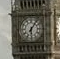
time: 6:06
